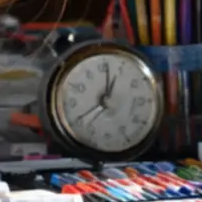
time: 1:01
